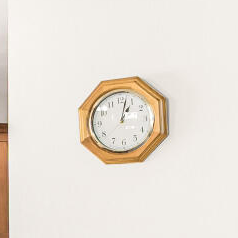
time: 1:02
